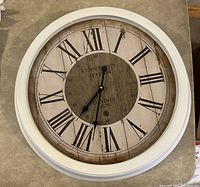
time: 7:33
